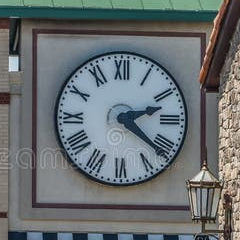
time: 2:21
